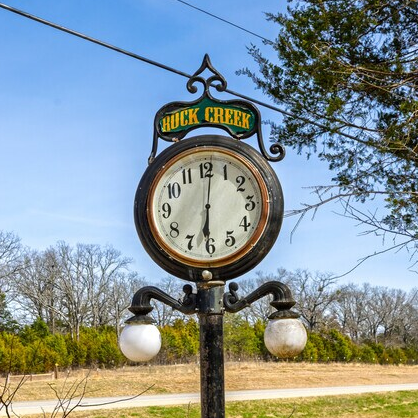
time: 6:01
